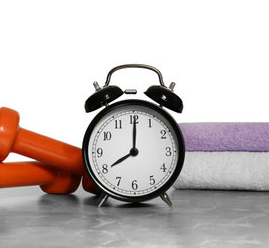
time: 8:00
